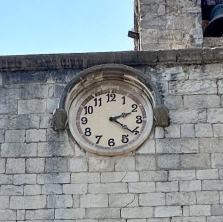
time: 2:21
